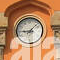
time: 9:07
